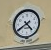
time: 4:39
